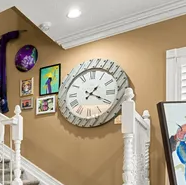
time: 1:18
